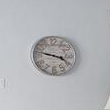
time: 3:47
